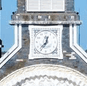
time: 12:36
